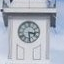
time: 3:29
